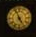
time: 4:56
